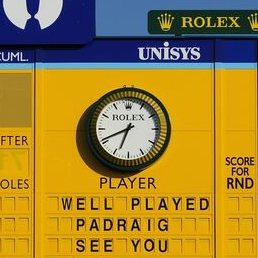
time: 6:40
